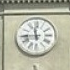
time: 11:44
